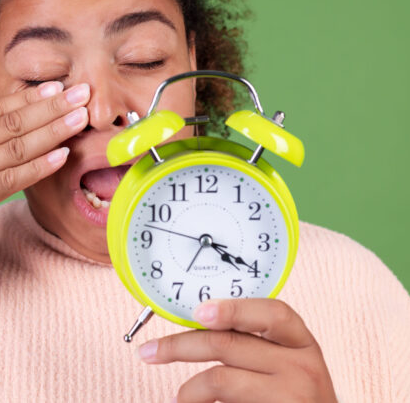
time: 4:19
